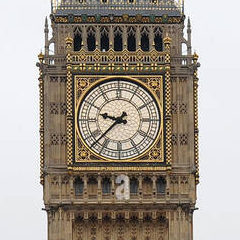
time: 9:37
